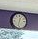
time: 12:32
